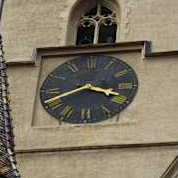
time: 3:41
